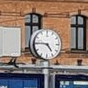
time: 4:45
